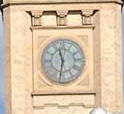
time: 11:31
